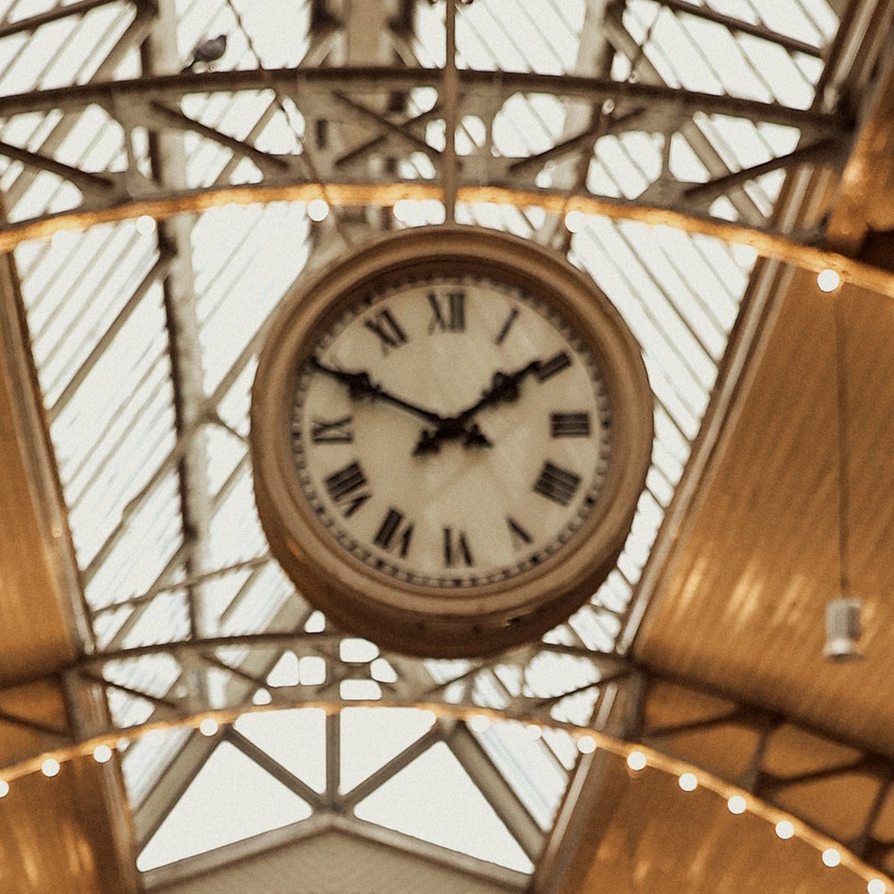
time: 1:49
